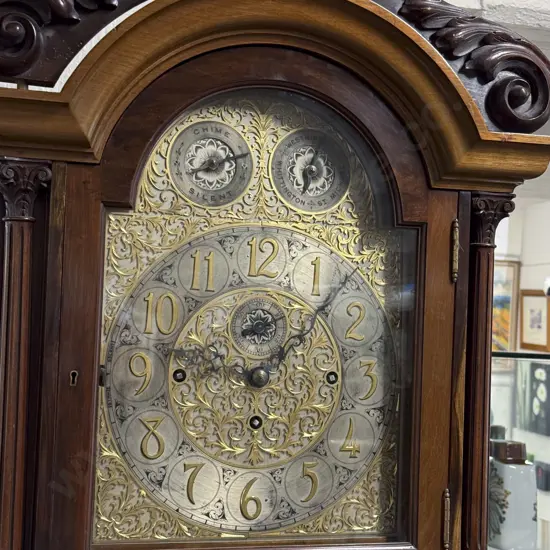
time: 9:07
